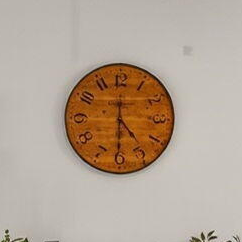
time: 4:30
